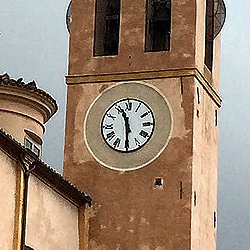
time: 11:29
